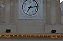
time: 7:13
